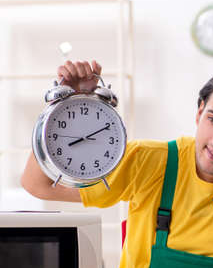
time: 8:10
